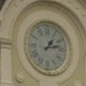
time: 1:12
